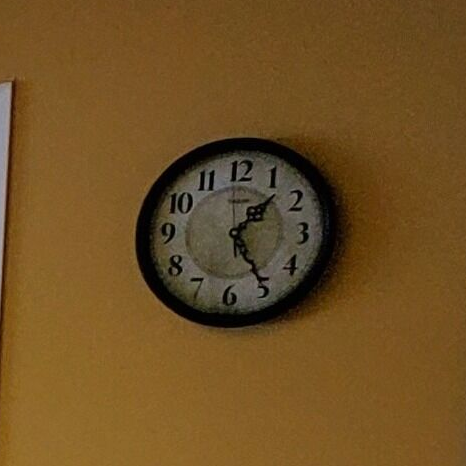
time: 1:24
